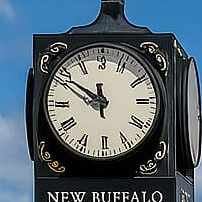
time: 11:50
